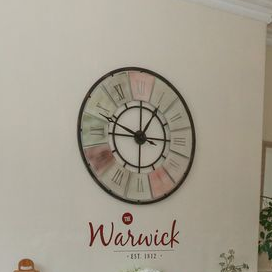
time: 12:48
